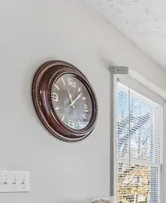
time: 11:07
